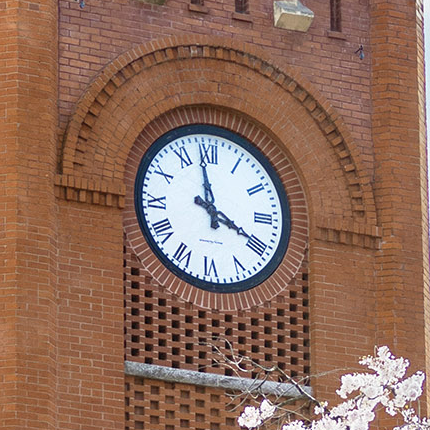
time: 3:58
